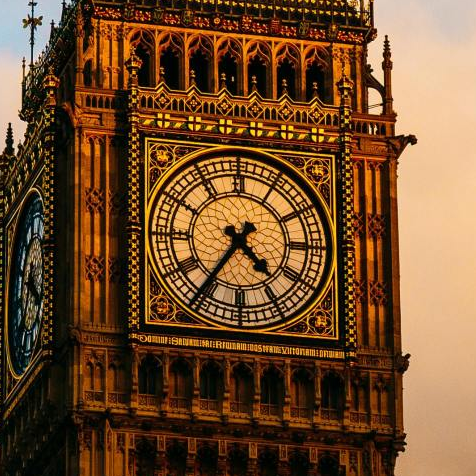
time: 4:35
